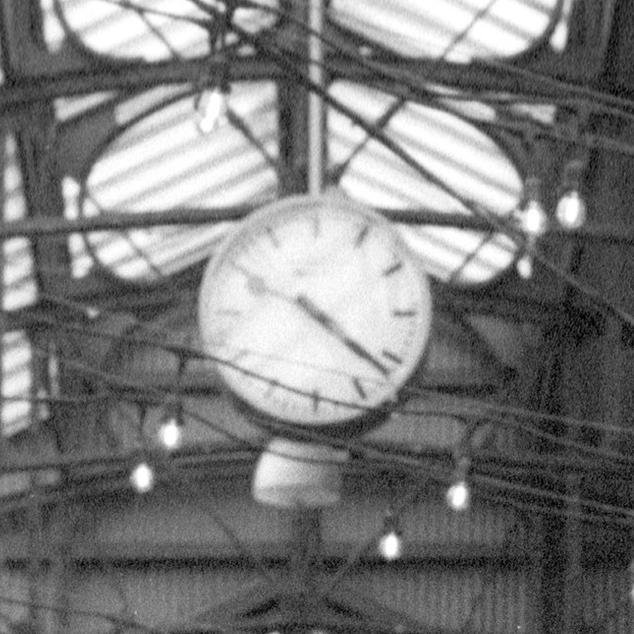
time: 4:21
